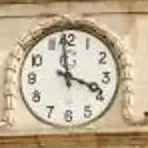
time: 3:58
